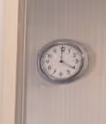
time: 4:00
